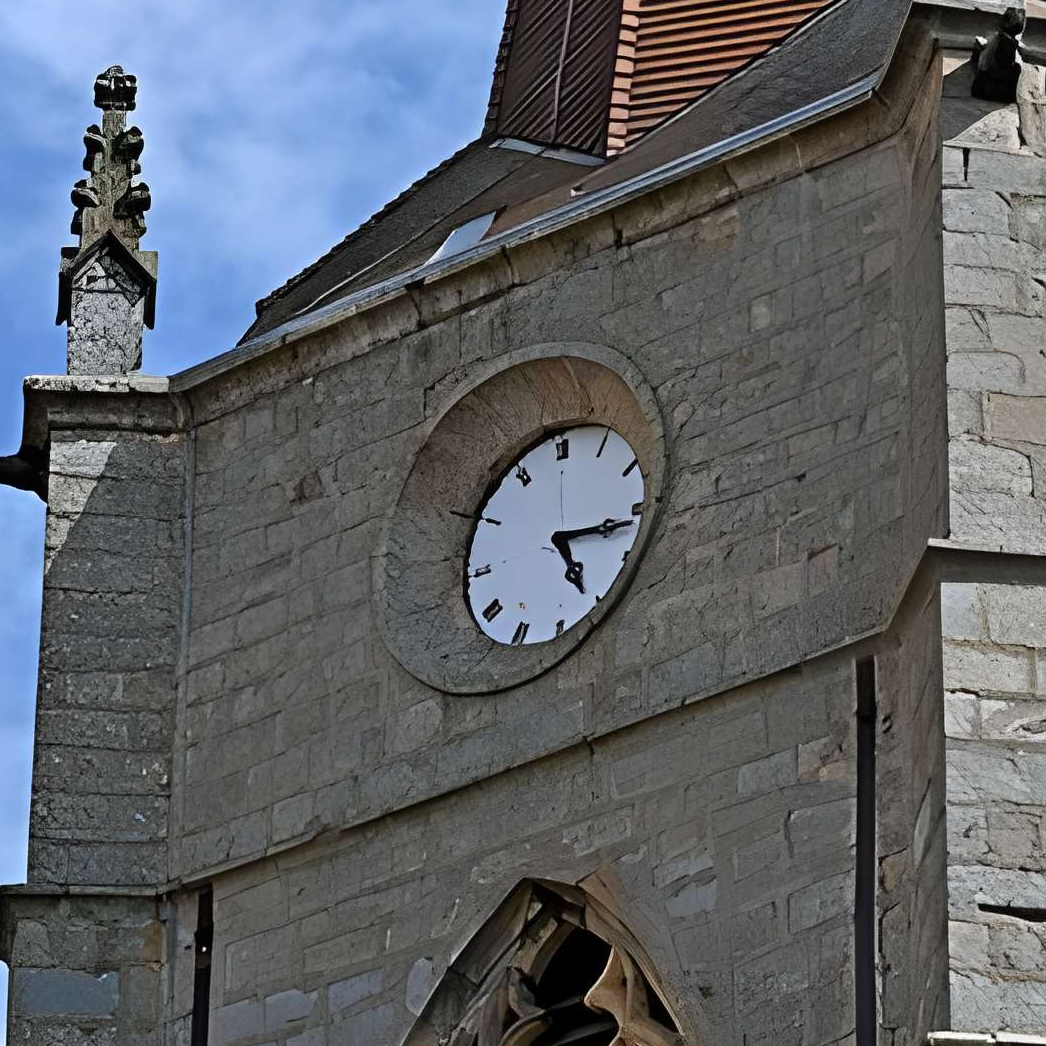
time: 5:16
